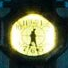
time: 6:27
